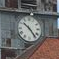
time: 10:24
